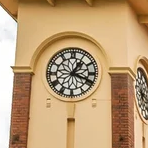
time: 1:18
